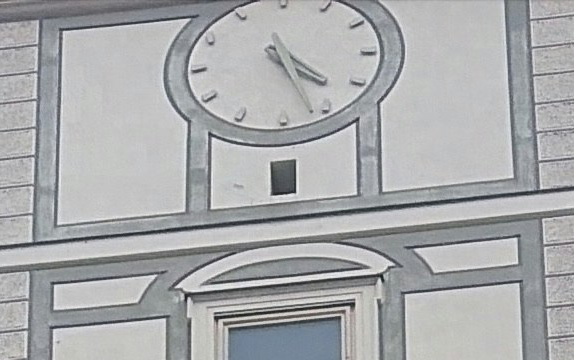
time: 4:26
